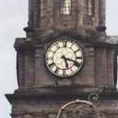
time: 5:18
